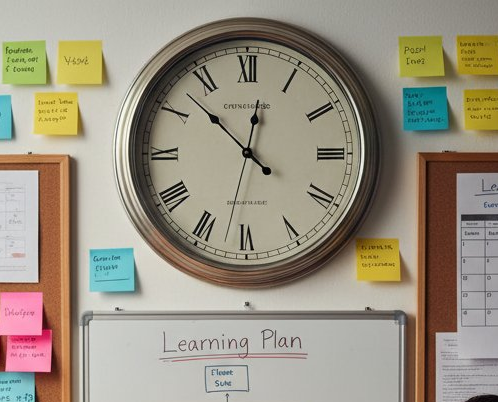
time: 12:52
